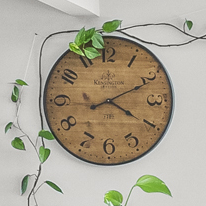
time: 4:10
